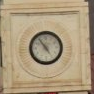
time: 4:54
